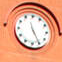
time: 11:25
